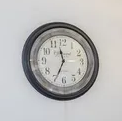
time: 11:34
